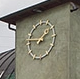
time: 1:46
